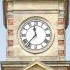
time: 11:36
